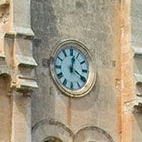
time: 12:20
